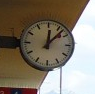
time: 12:07
